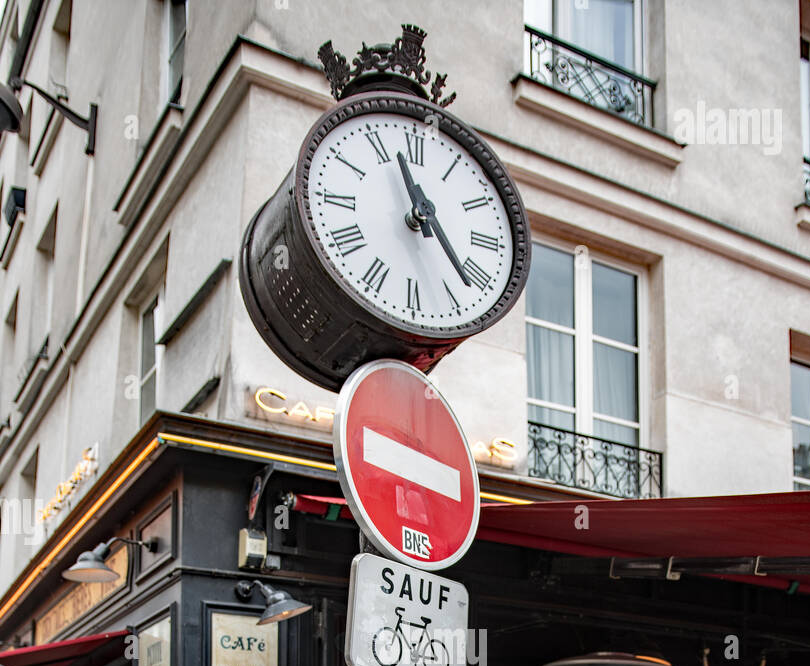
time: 11:22
